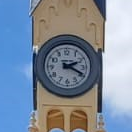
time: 2:19
